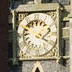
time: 2:19
